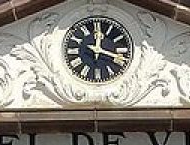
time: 12:18
